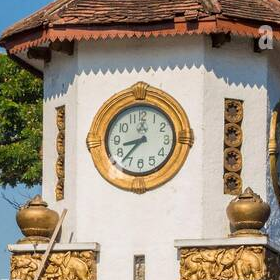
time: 8:37
